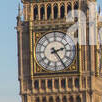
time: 2:24
